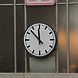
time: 11:52
